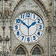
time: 1:51
